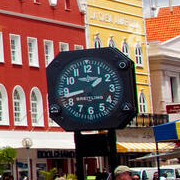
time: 1:42
